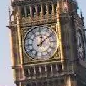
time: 12:09
